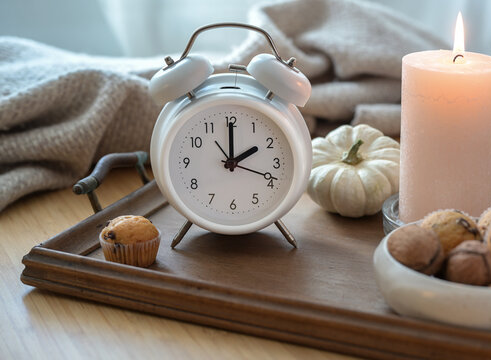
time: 2:00
